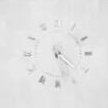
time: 4:27
